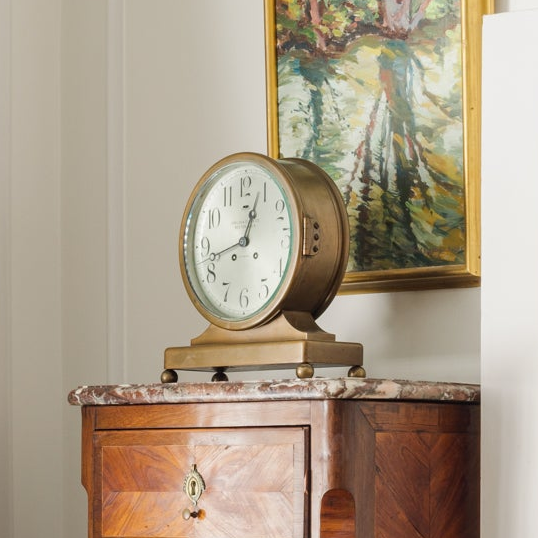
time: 12:42
